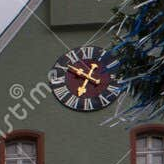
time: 6:50
